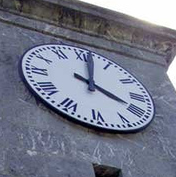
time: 4:01
